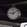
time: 9:08
